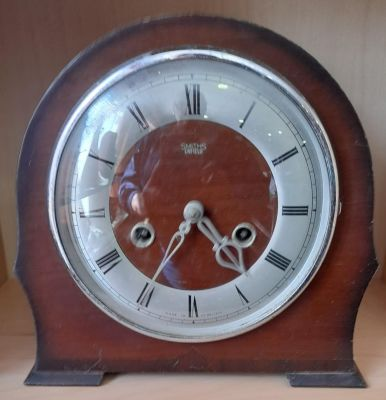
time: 4:35
